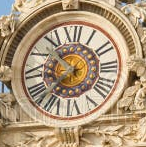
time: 10:36
